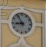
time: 8:54
